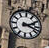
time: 2:18
